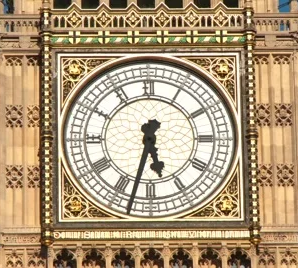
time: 5:32
